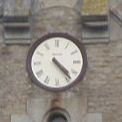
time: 4:23
